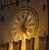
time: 5:03
